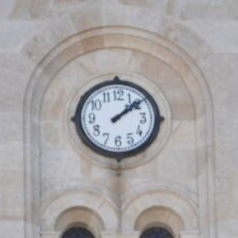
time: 1:08
